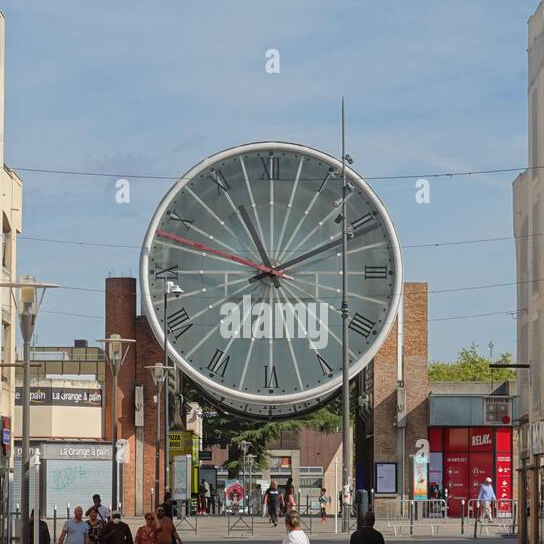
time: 11:11
